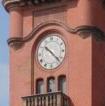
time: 10:22
